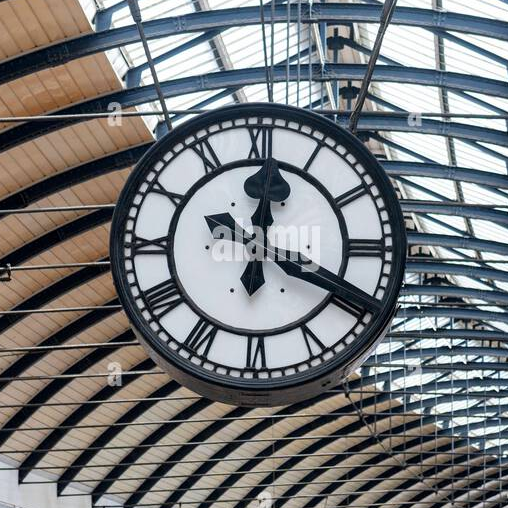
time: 12:19
